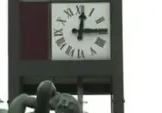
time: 12:14
